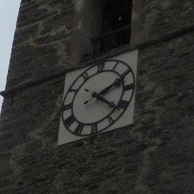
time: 2:21
